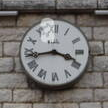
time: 3:43
